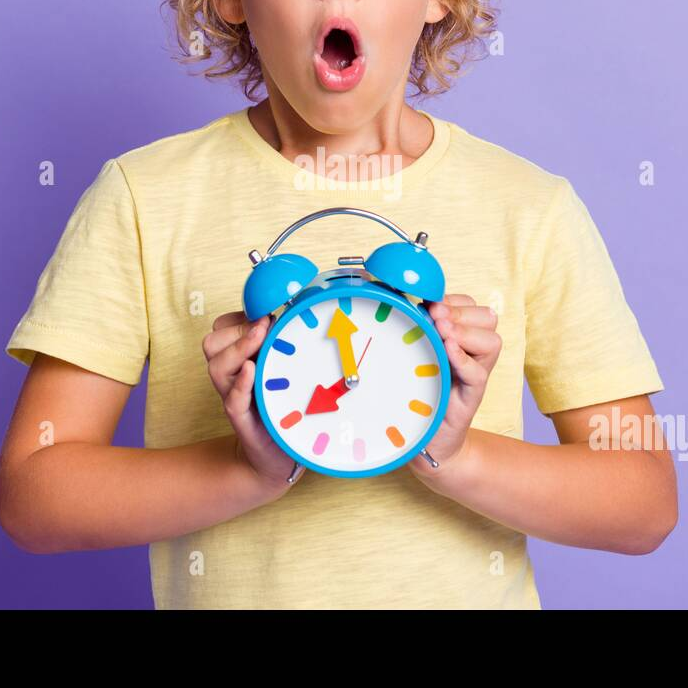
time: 7:59
